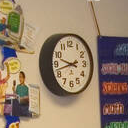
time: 9:42
